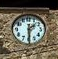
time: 1:29
